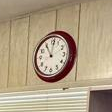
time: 11:01
